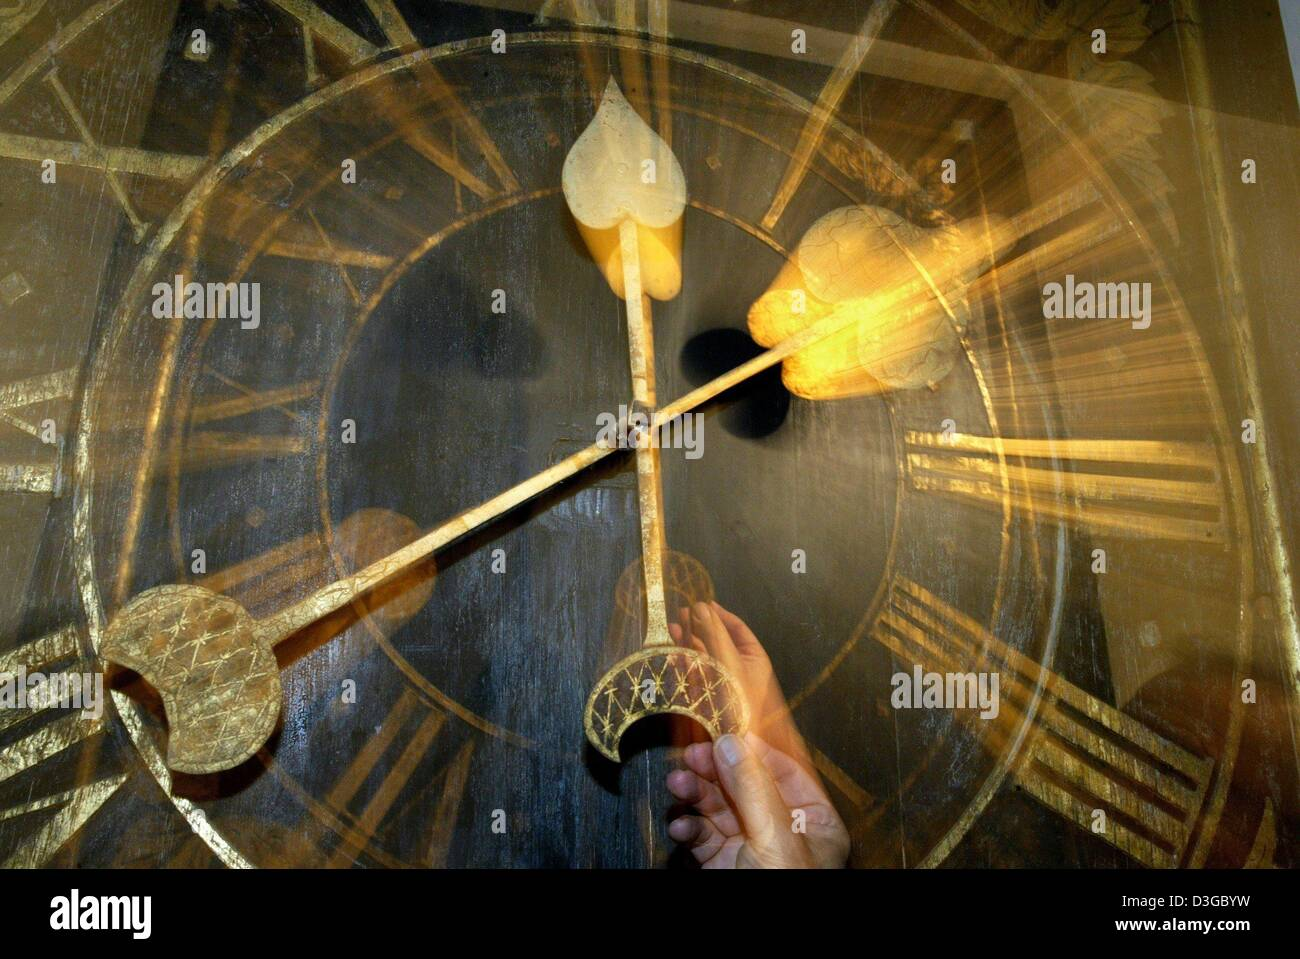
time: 11:40
